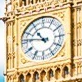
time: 10:46
